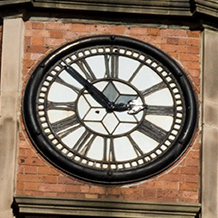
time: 2:52
